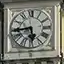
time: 5:43
